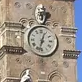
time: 12:32
